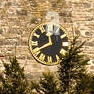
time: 11:40
